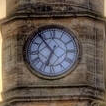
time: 6:53
